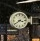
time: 3:39
